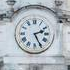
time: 2:25
